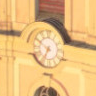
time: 6:50
